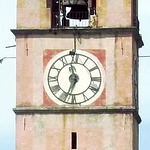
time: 11:33
